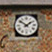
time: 1:51
